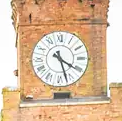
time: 5:20
